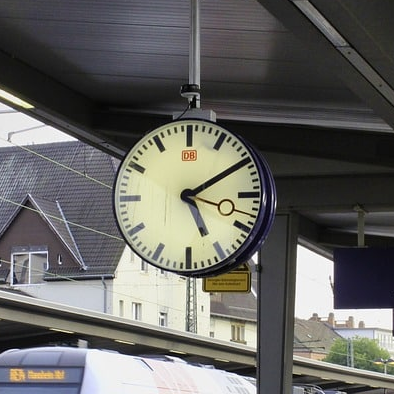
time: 5:09
